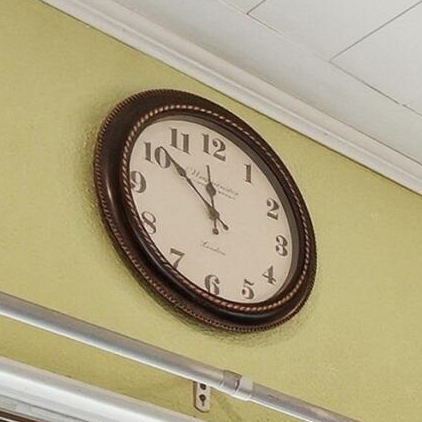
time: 11:51
